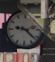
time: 9:22
